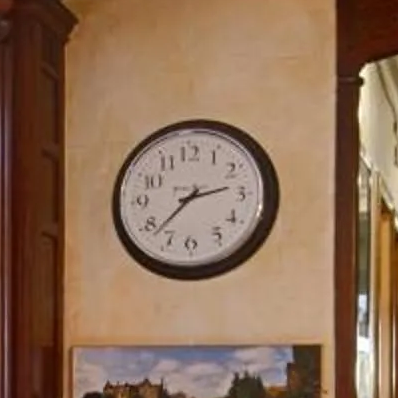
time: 2:37
